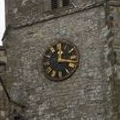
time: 12:16
